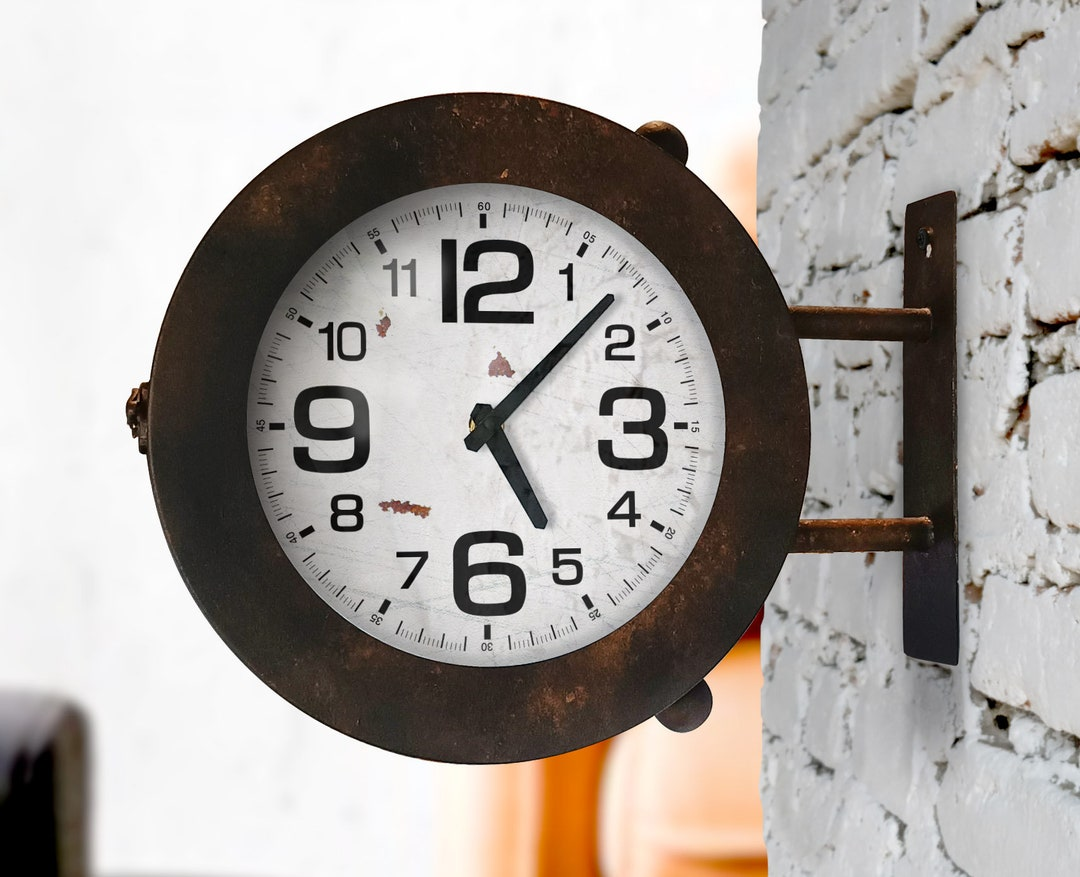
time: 5:07
